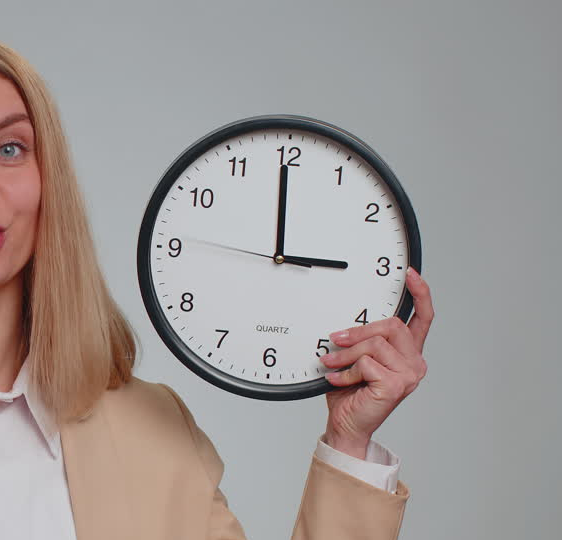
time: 2:59
